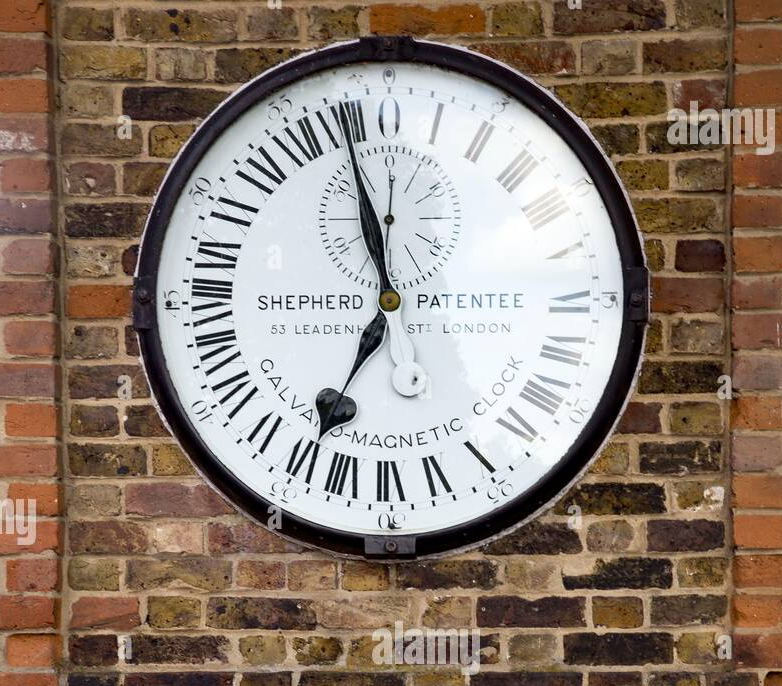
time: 6:57
